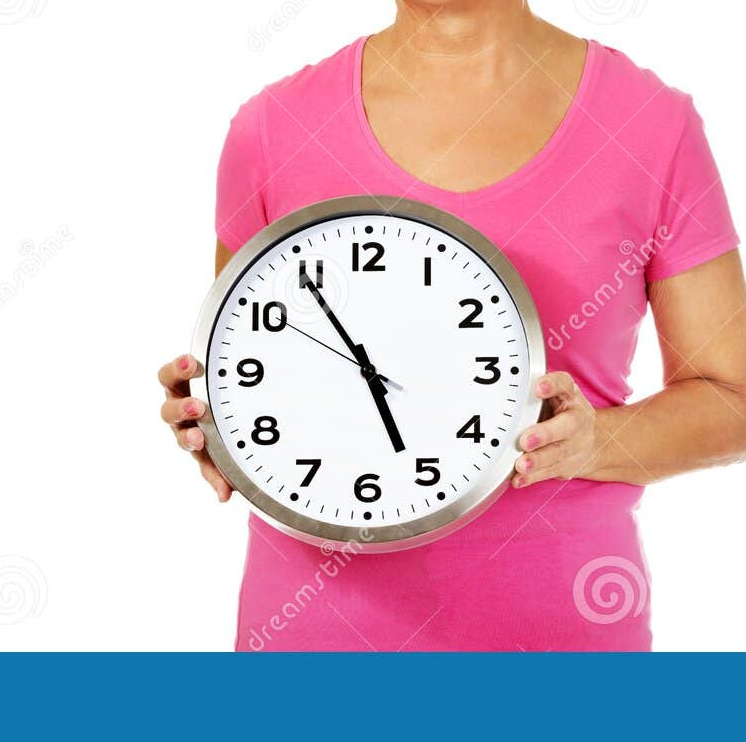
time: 4:54
